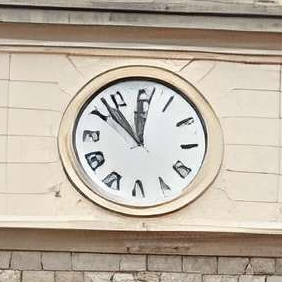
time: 11:52
